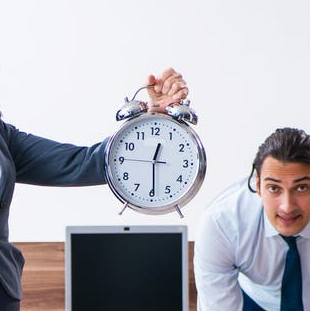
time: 12:29
